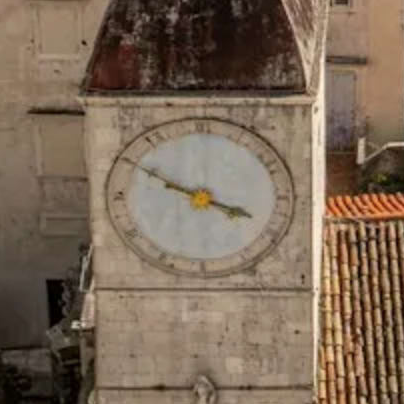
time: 3:50
